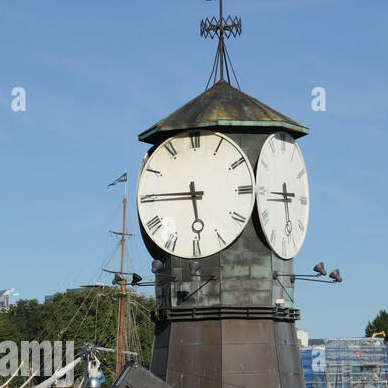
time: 5:45
